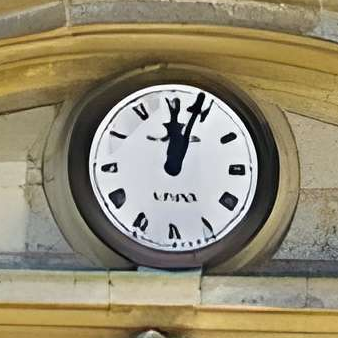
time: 12:03
